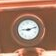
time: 9:12
